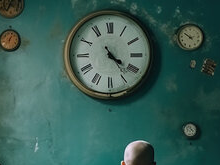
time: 4:20
